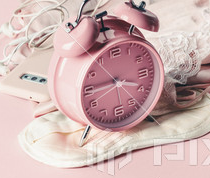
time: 3:44
